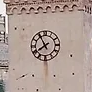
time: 7:54
